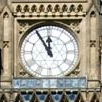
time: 11:54
